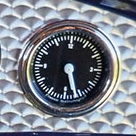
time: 5:26
